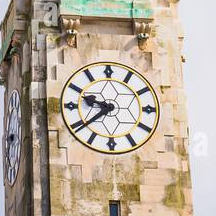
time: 9:38
